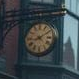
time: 8:09
